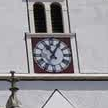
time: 11:05
